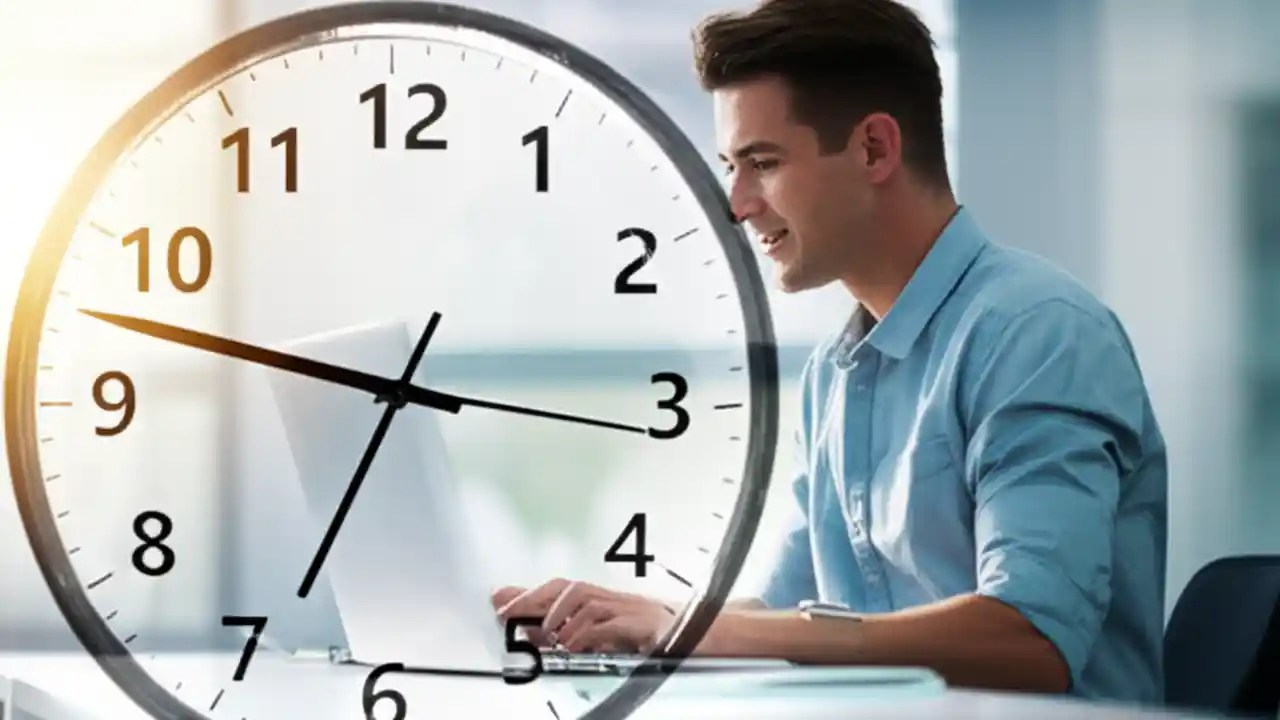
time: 6:47
